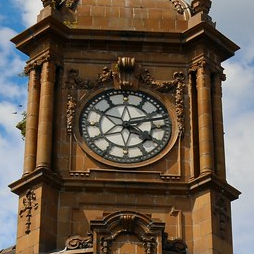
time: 4:12
